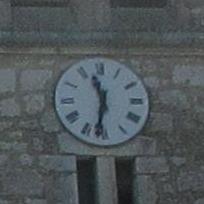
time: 11:32
